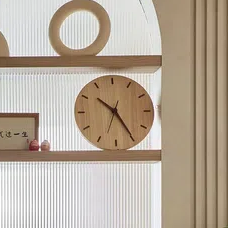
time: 10:24
